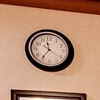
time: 11:35
